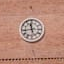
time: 11:43
